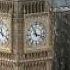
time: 11:17
